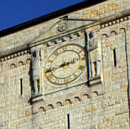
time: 2:42
